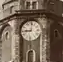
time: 9:01
